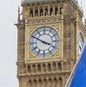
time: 3:50
